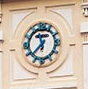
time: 11:37
